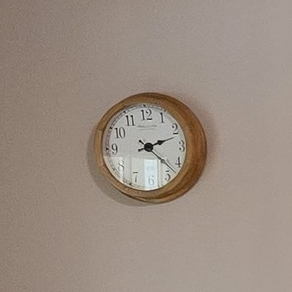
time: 2:22
